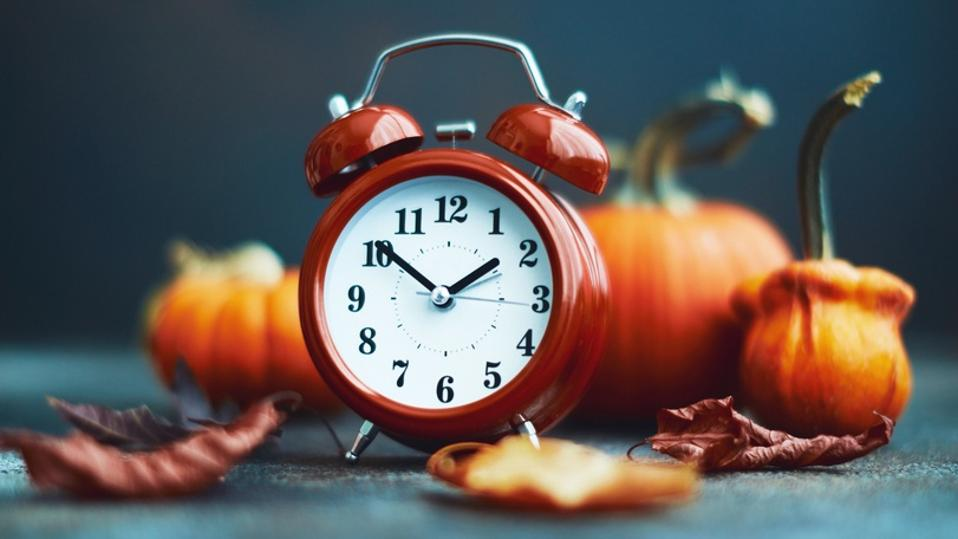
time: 1:51
